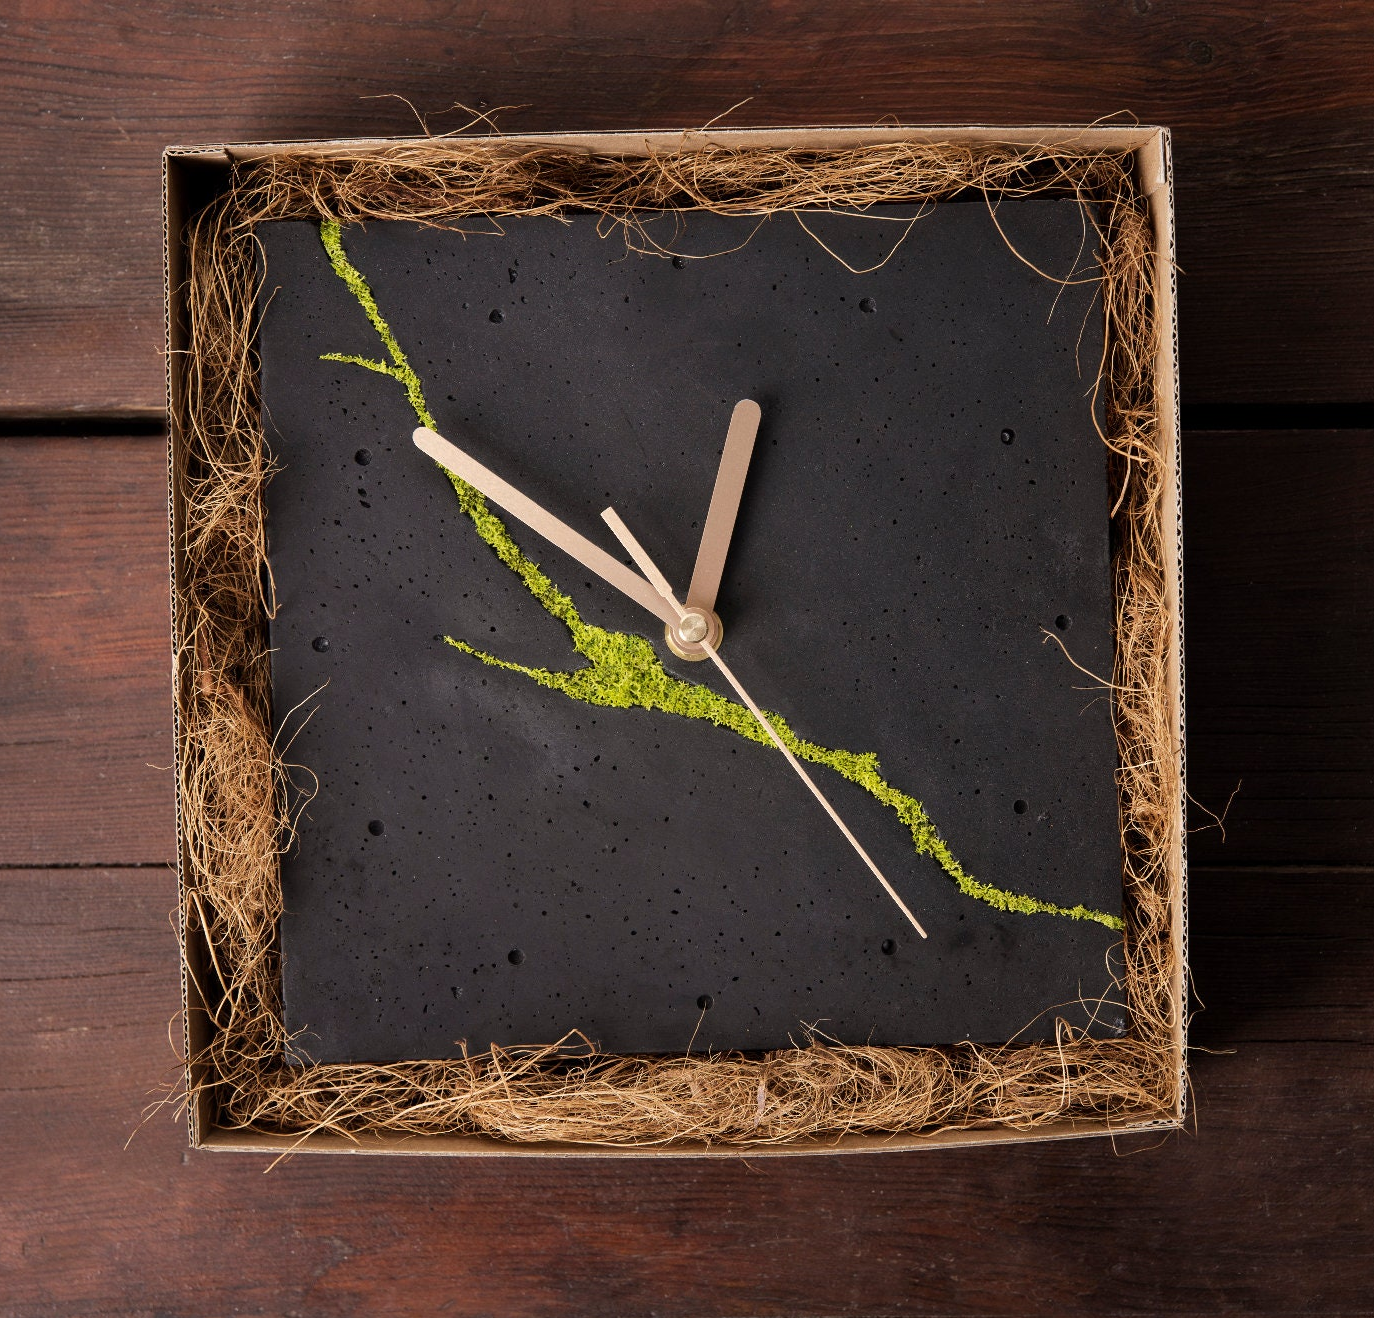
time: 12:49
